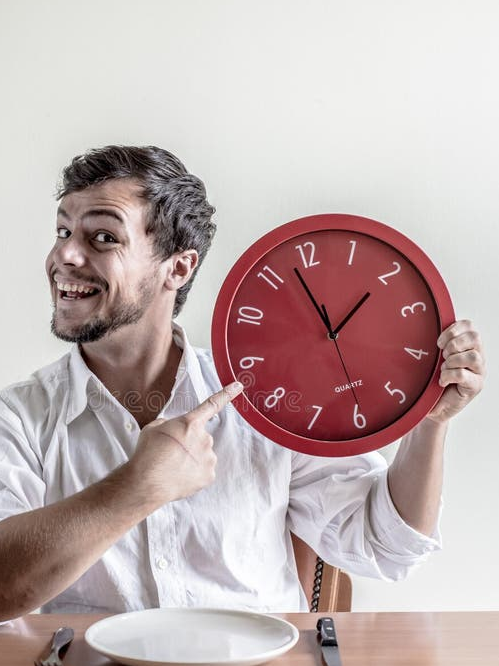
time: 1:57
